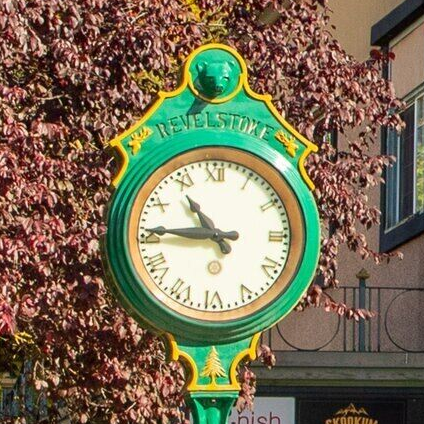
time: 10:45
